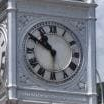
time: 10:50
